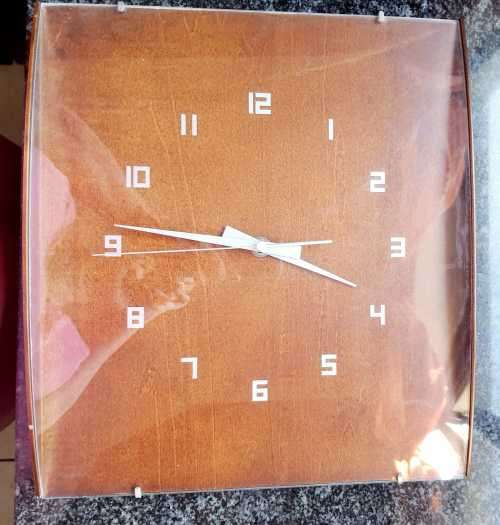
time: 3:46
